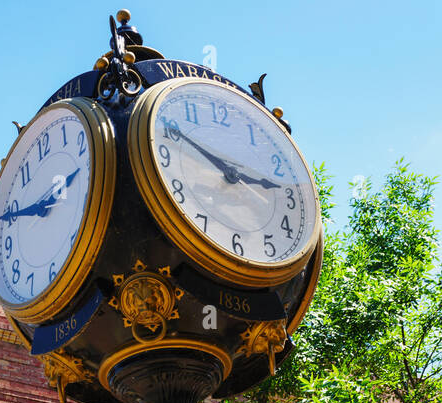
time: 2:49
